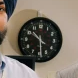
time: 10:28
